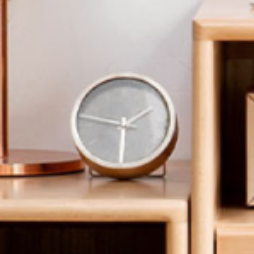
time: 1:47
